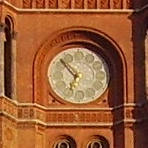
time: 6:53
